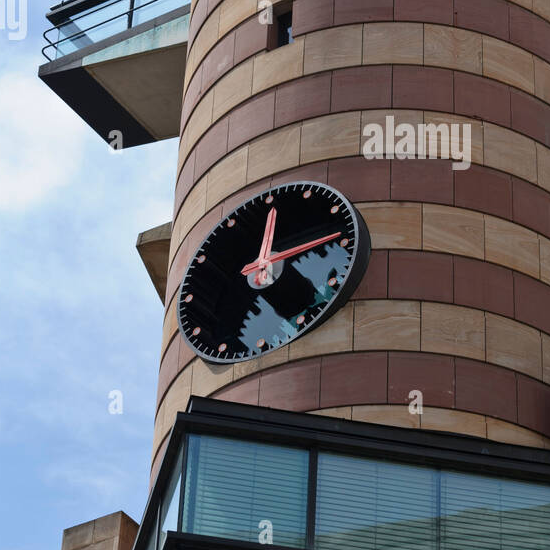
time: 12:13
